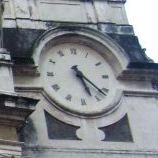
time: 5:22
